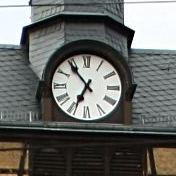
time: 6:53
